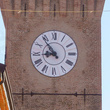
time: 8:53
